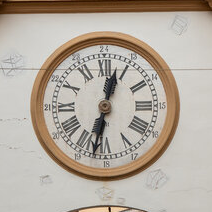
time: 12:32
